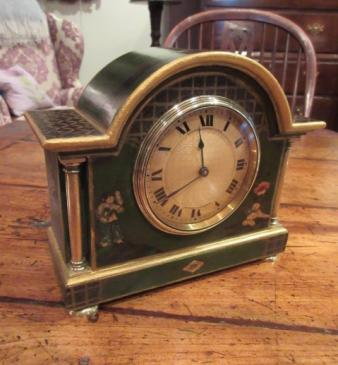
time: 11:38
